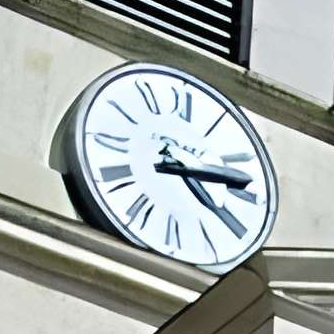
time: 4:13
